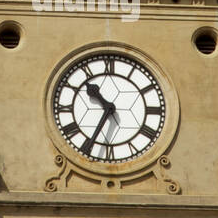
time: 10:34
